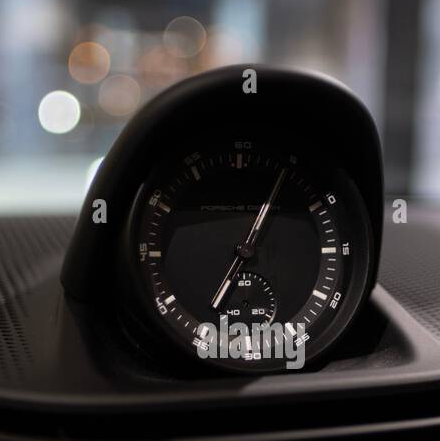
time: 7:04
